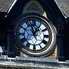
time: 12:57
